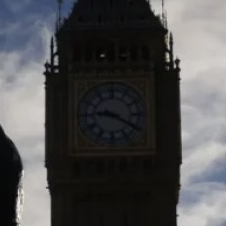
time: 9:20
